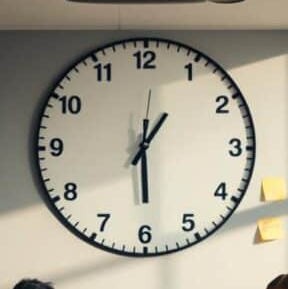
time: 1:29
